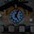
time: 5:03
